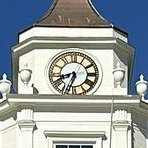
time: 8:33
